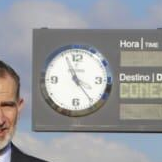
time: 3:56
